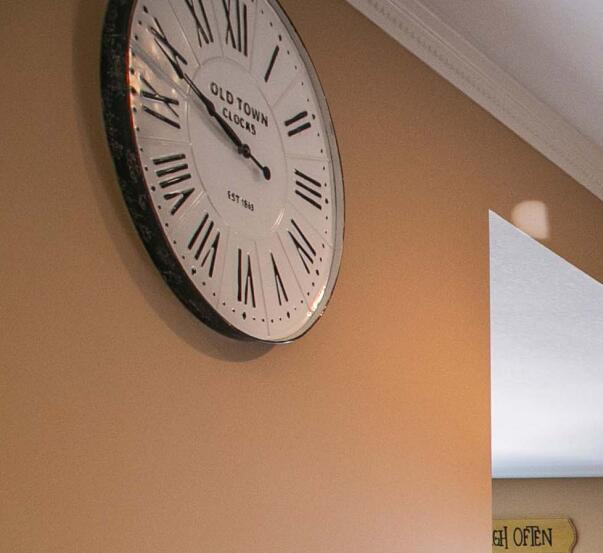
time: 9:48
